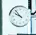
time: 9:53
